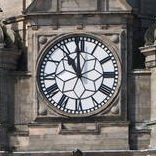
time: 10:59
